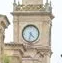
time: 4:32
